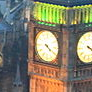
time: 4:20
